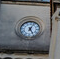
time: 5:03
